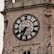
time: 7:34
